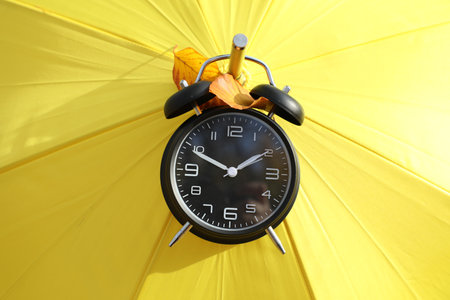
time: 1:49
